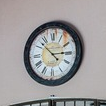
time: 2:52
